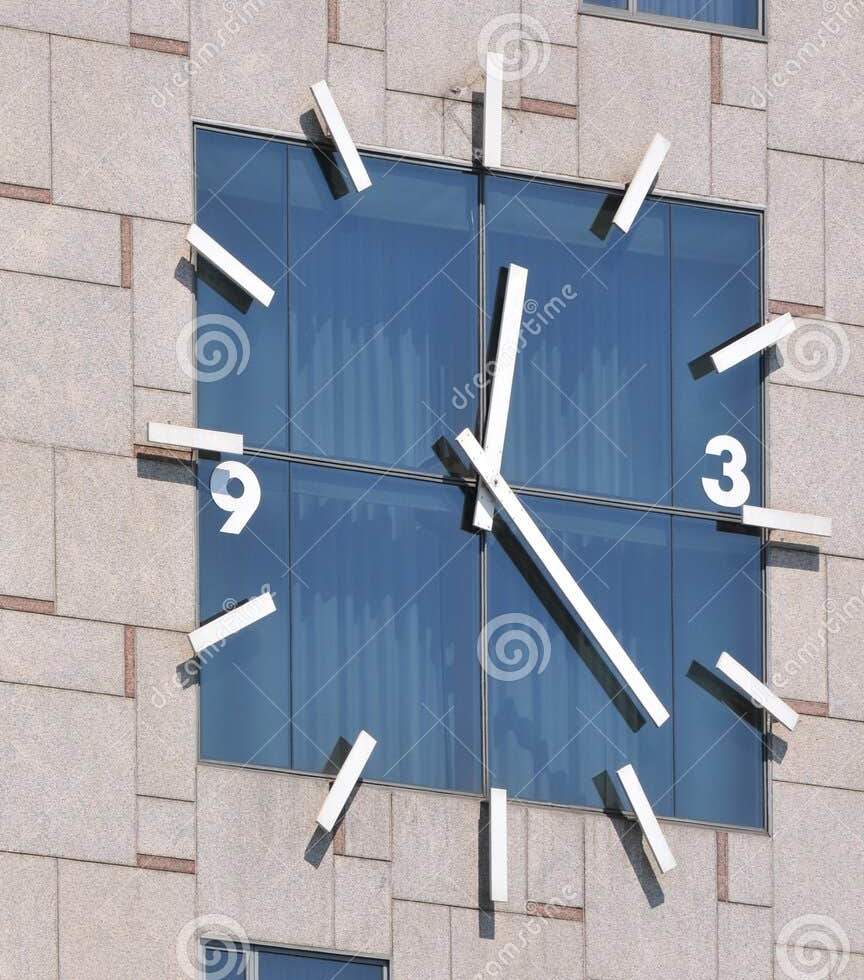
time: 12:22
